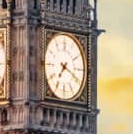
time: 7:18
